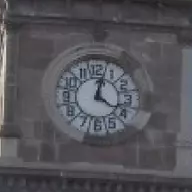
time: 4:02
